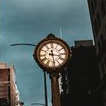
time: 3:28
